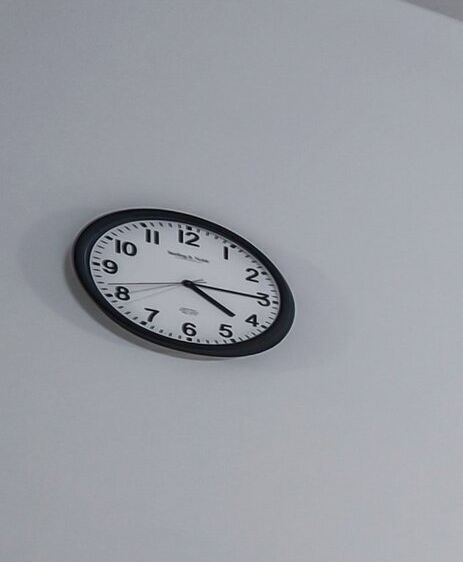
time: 4:14
